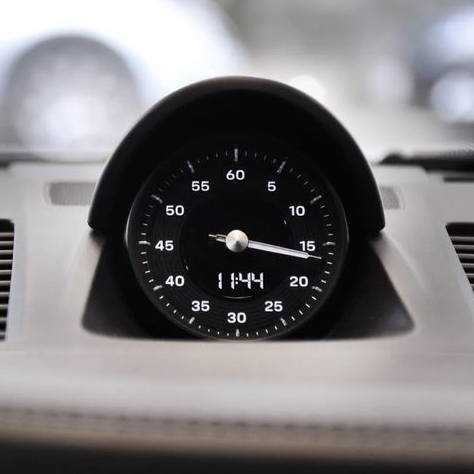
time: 3:16
